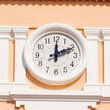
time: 12:10
